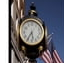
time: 5:35
